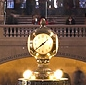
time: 1:38
